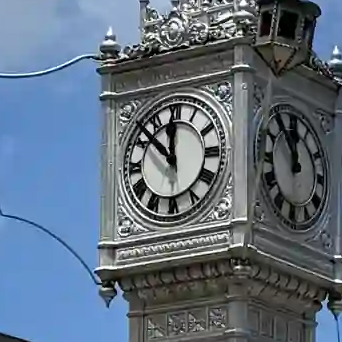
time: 11:52
